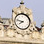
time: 7:47
